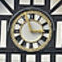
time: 2:56
